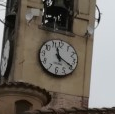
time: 11:19
